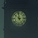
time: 11:51
